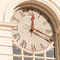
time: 12:18
